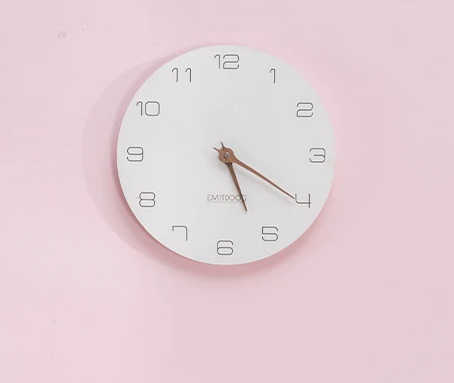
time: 5:20
